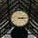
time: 3:14
